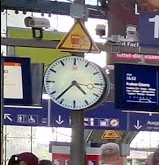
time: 4:37
